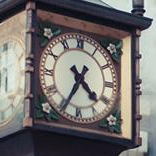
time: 4:34
